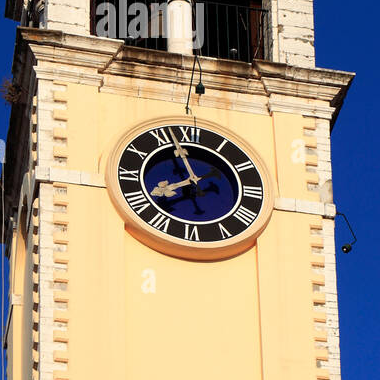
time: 7:56
